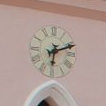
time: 6:11
